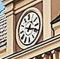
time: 1:18
